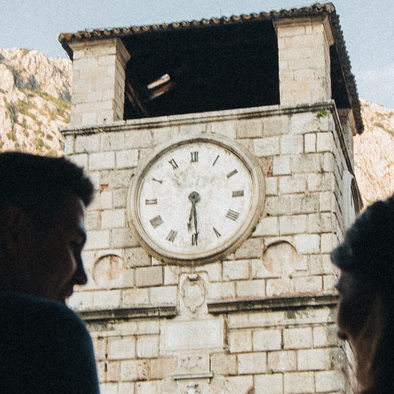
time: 6:29
